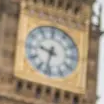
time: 9:32
